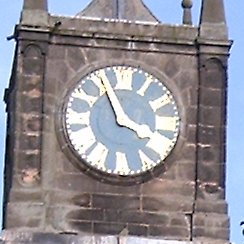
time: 3:55
